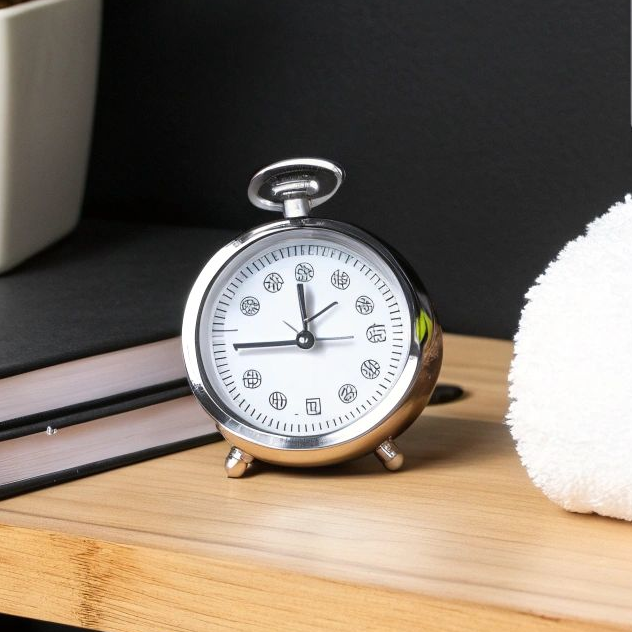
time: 11:44
